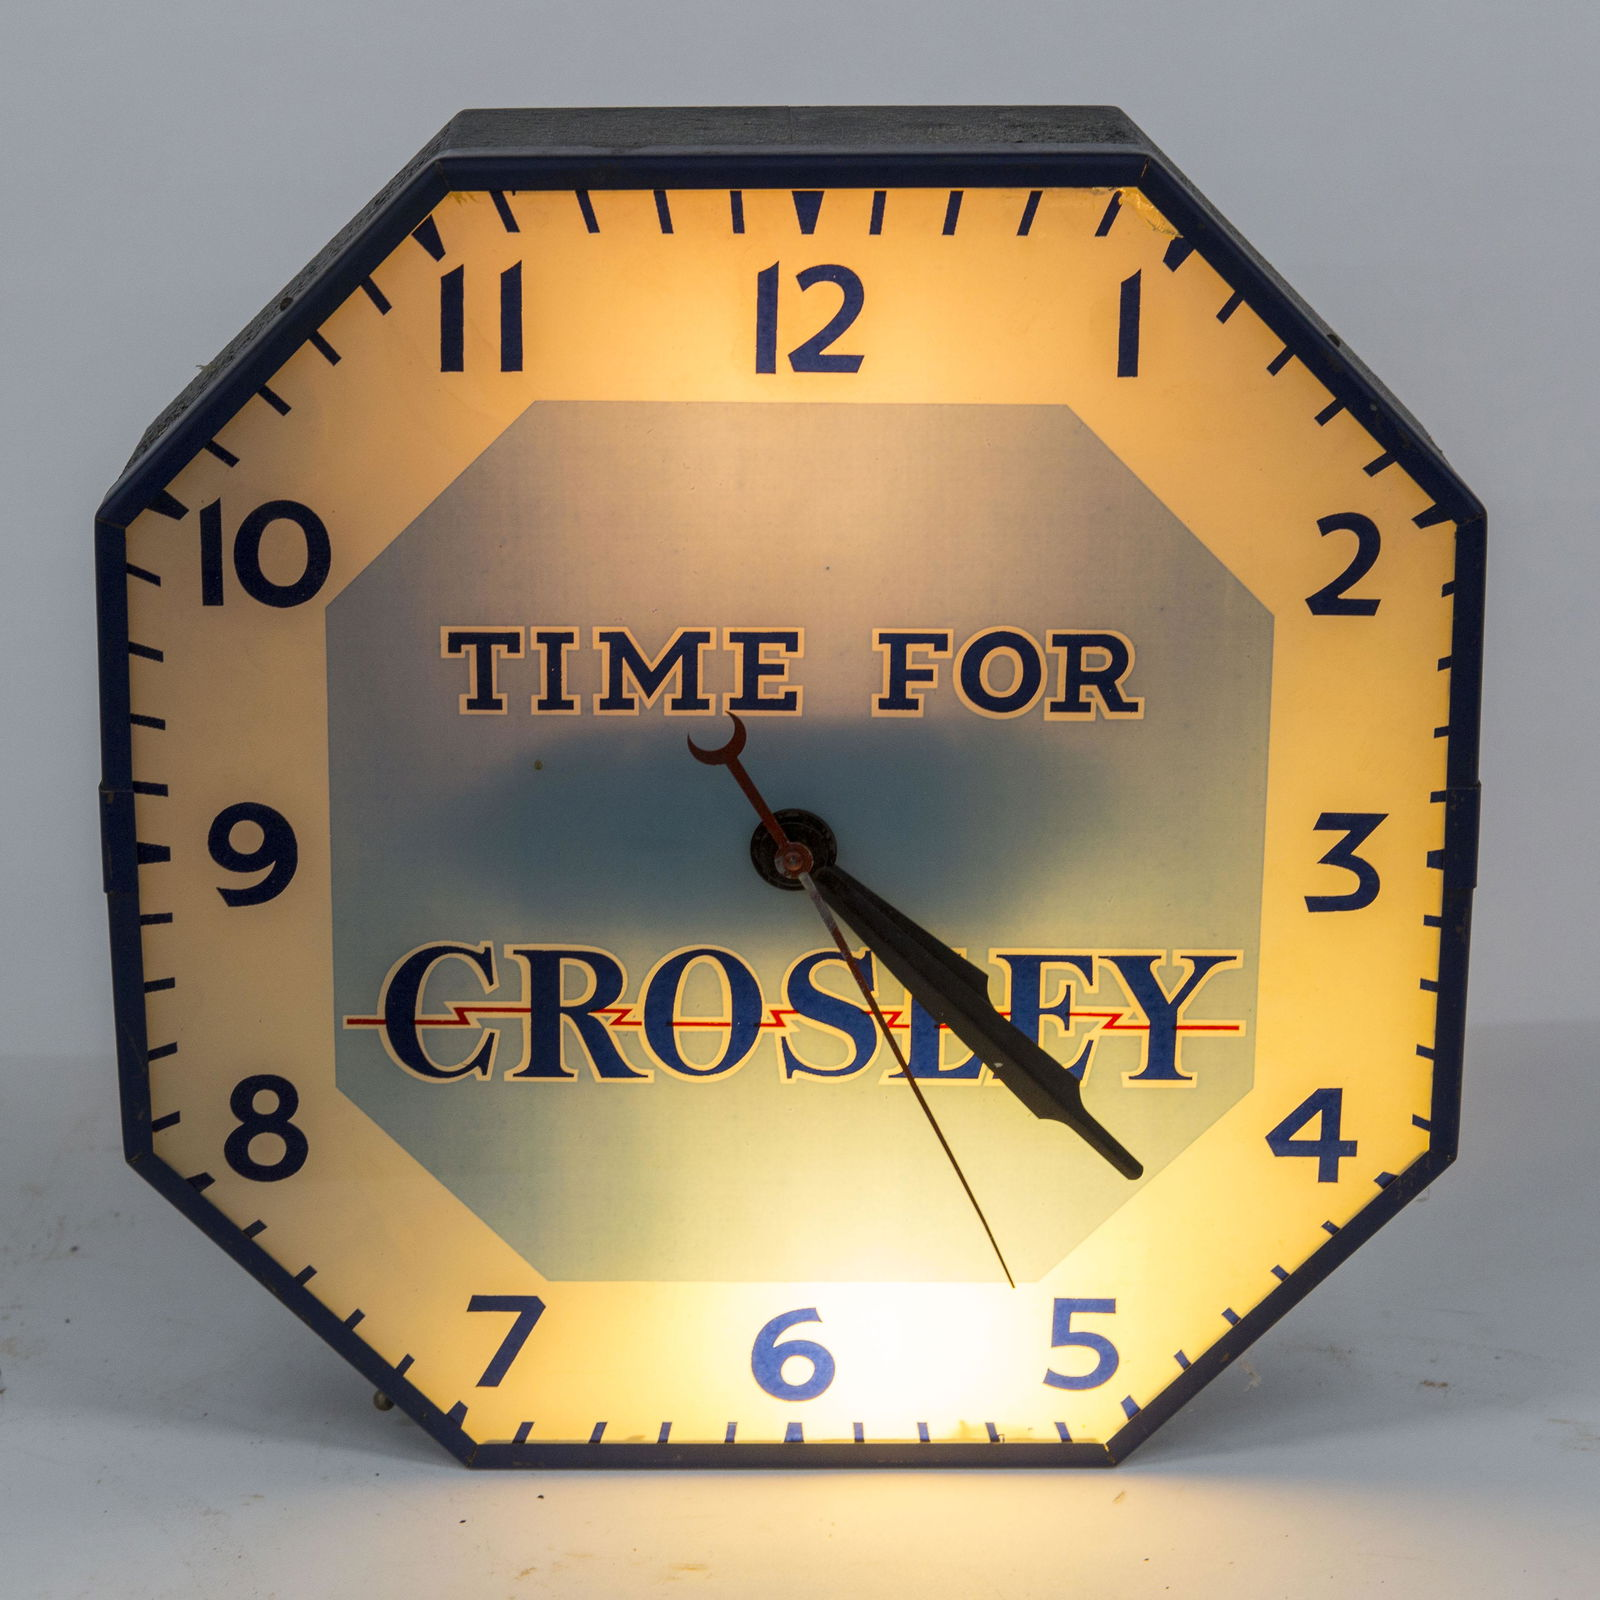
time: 4:22
